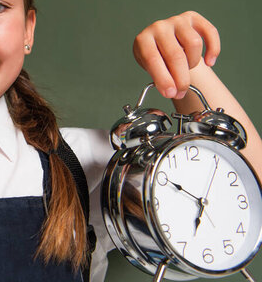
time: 6:50
